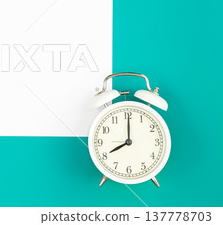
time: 8:00
